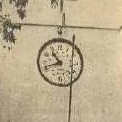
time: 10:42
